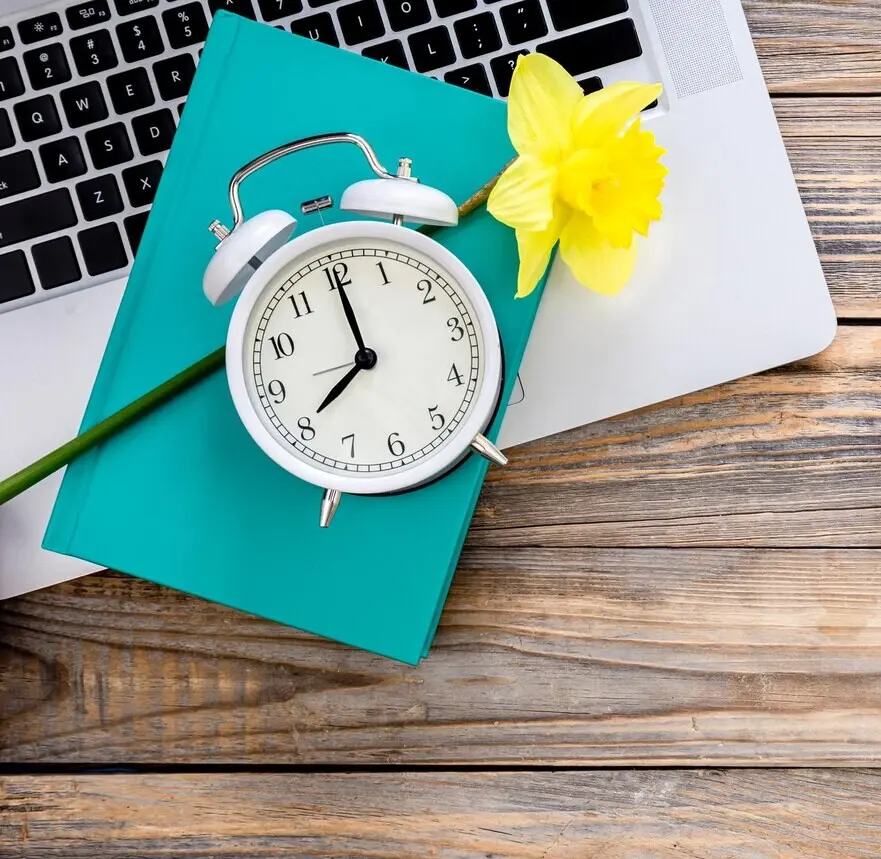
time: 8:00
